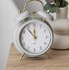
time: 11:53
